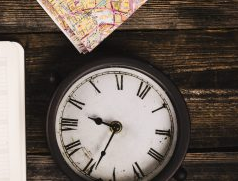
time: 9:33
